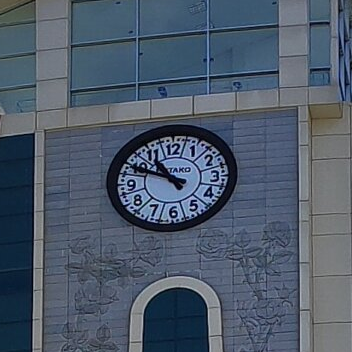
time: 10:49
